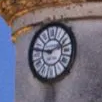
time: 9:12
